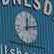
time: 12:12
